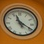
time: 11:19
